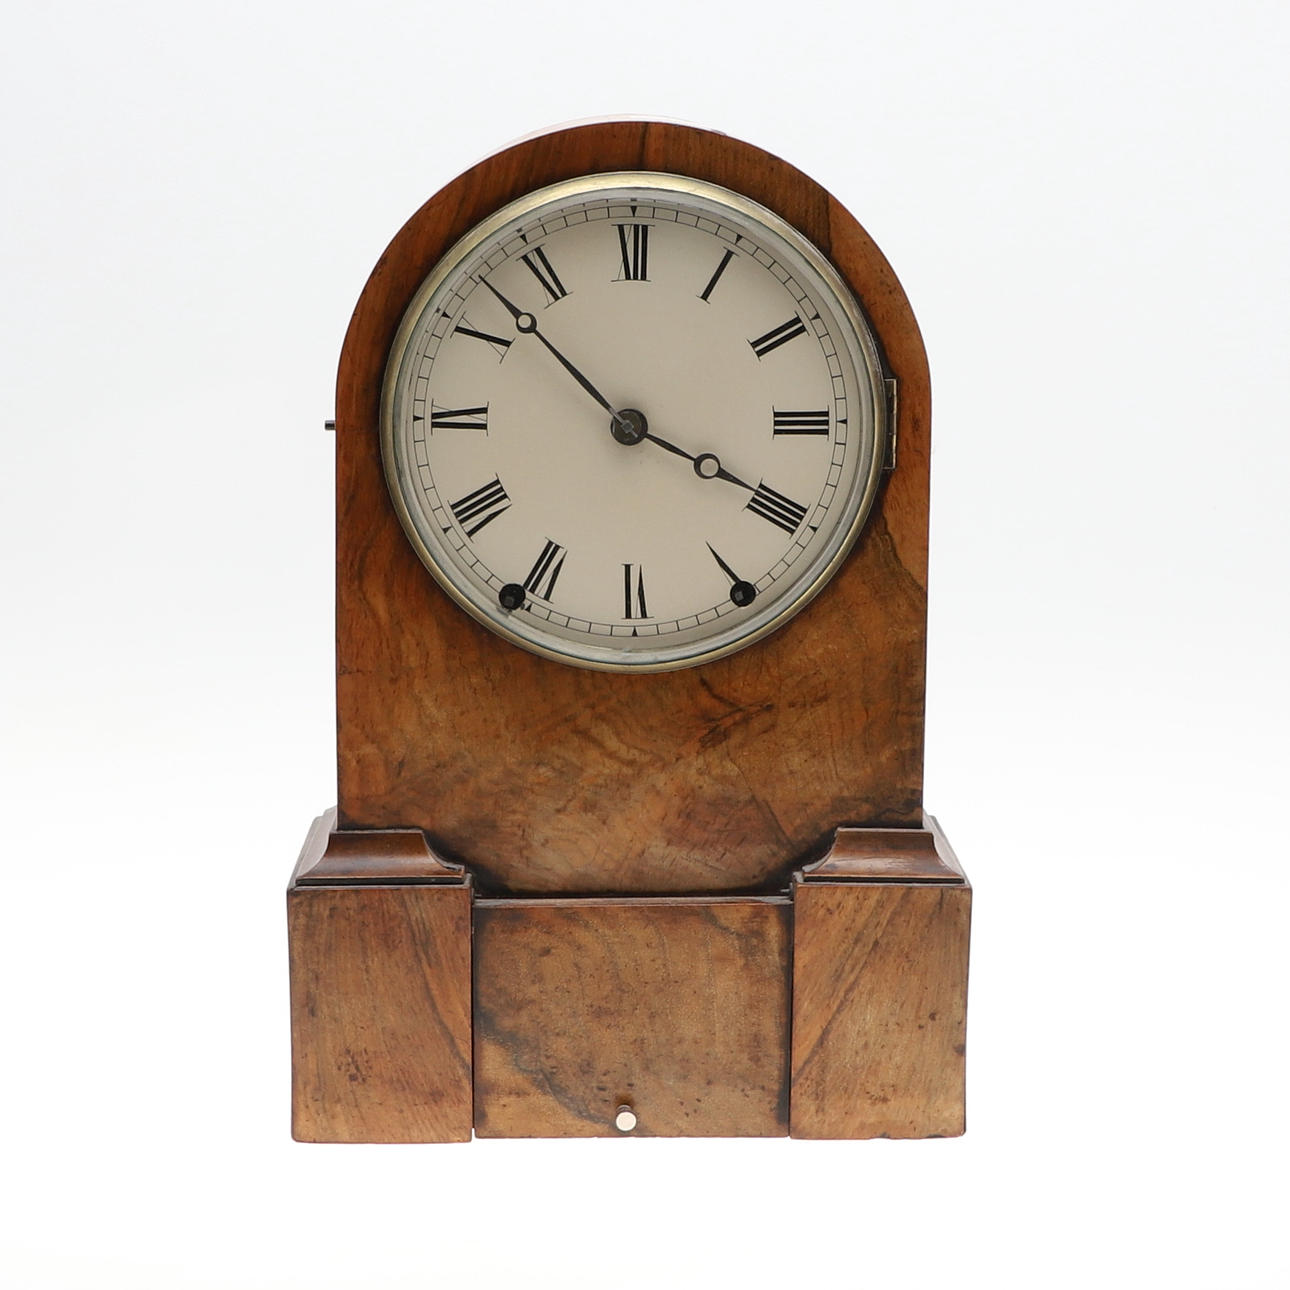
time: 3:52
